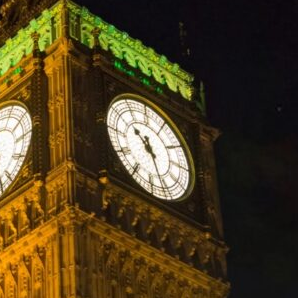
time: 10:26
